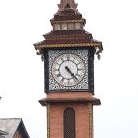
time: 4:23
